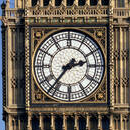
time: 2:36
